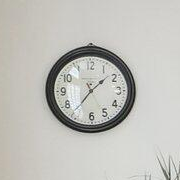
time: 1:36
